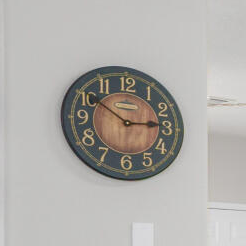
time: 2:50
